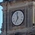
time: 6:58
